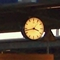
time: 3:42
